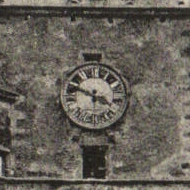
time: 3:48
